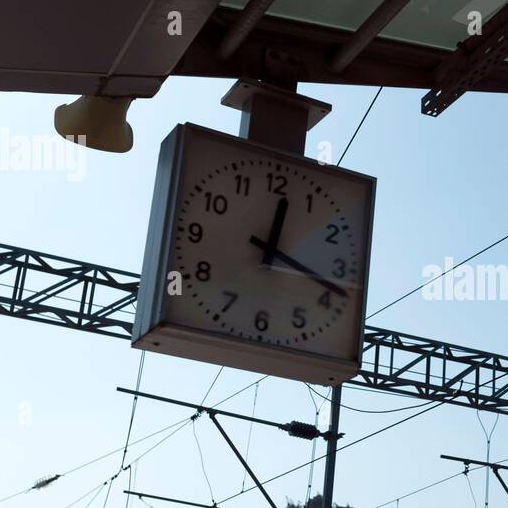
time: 12:18
